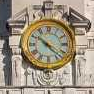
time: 10:21
